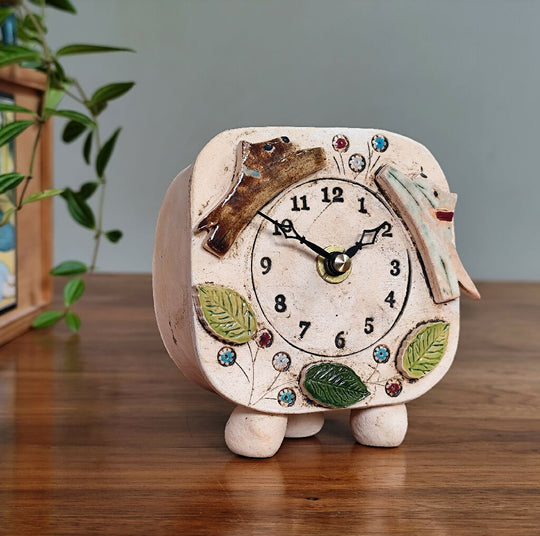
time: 1:50
